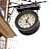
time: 12:23
